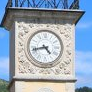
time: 4:42
